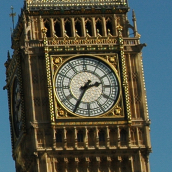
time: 2:35
